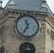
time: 11:35
